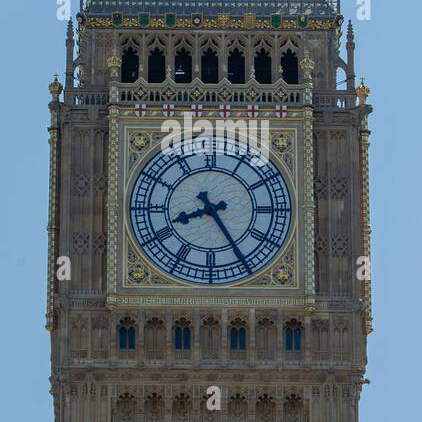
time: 8:25
